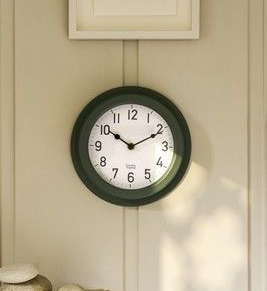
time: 10:10
